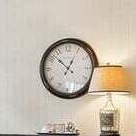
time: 12:52
